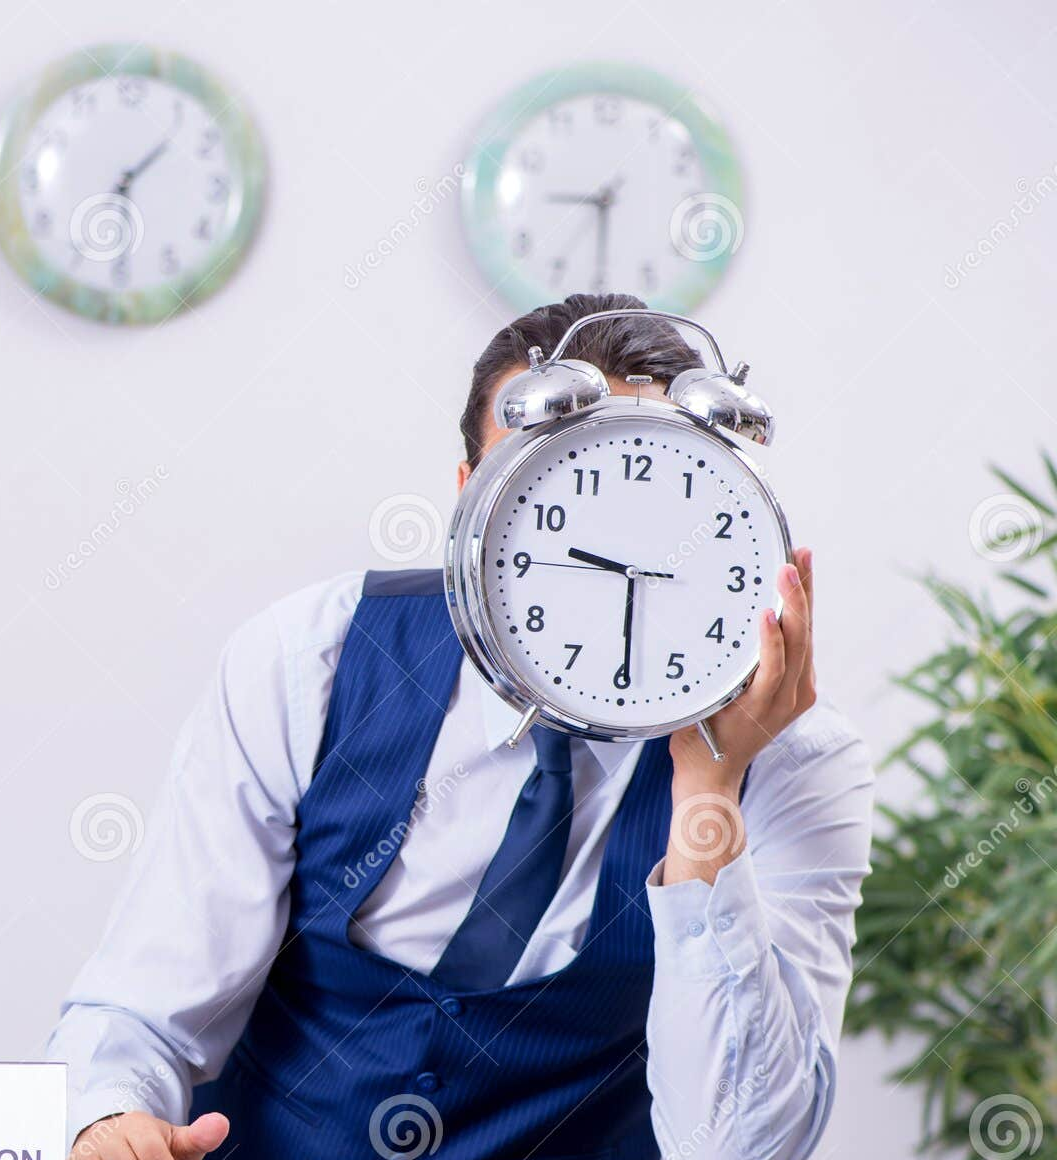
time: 9:29
